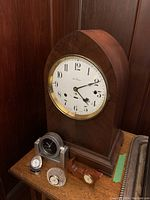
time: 4:10
